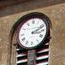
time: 3:11
